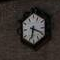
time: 6:19
